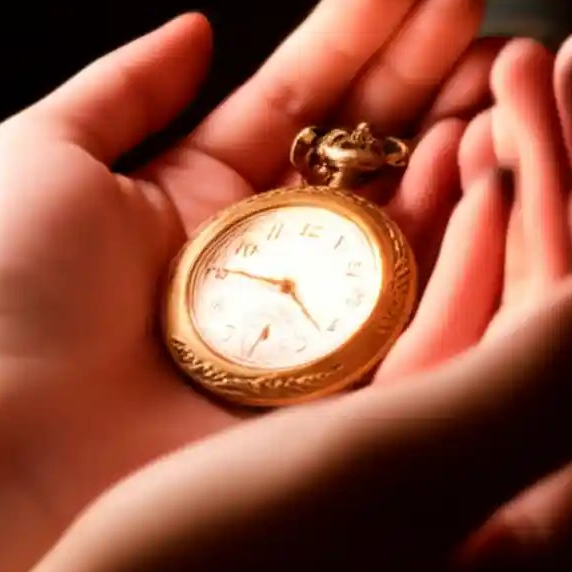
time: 9:21
